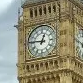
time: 12:46
